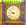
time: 8:51
